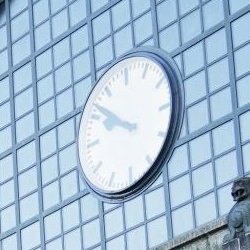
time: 9:51
